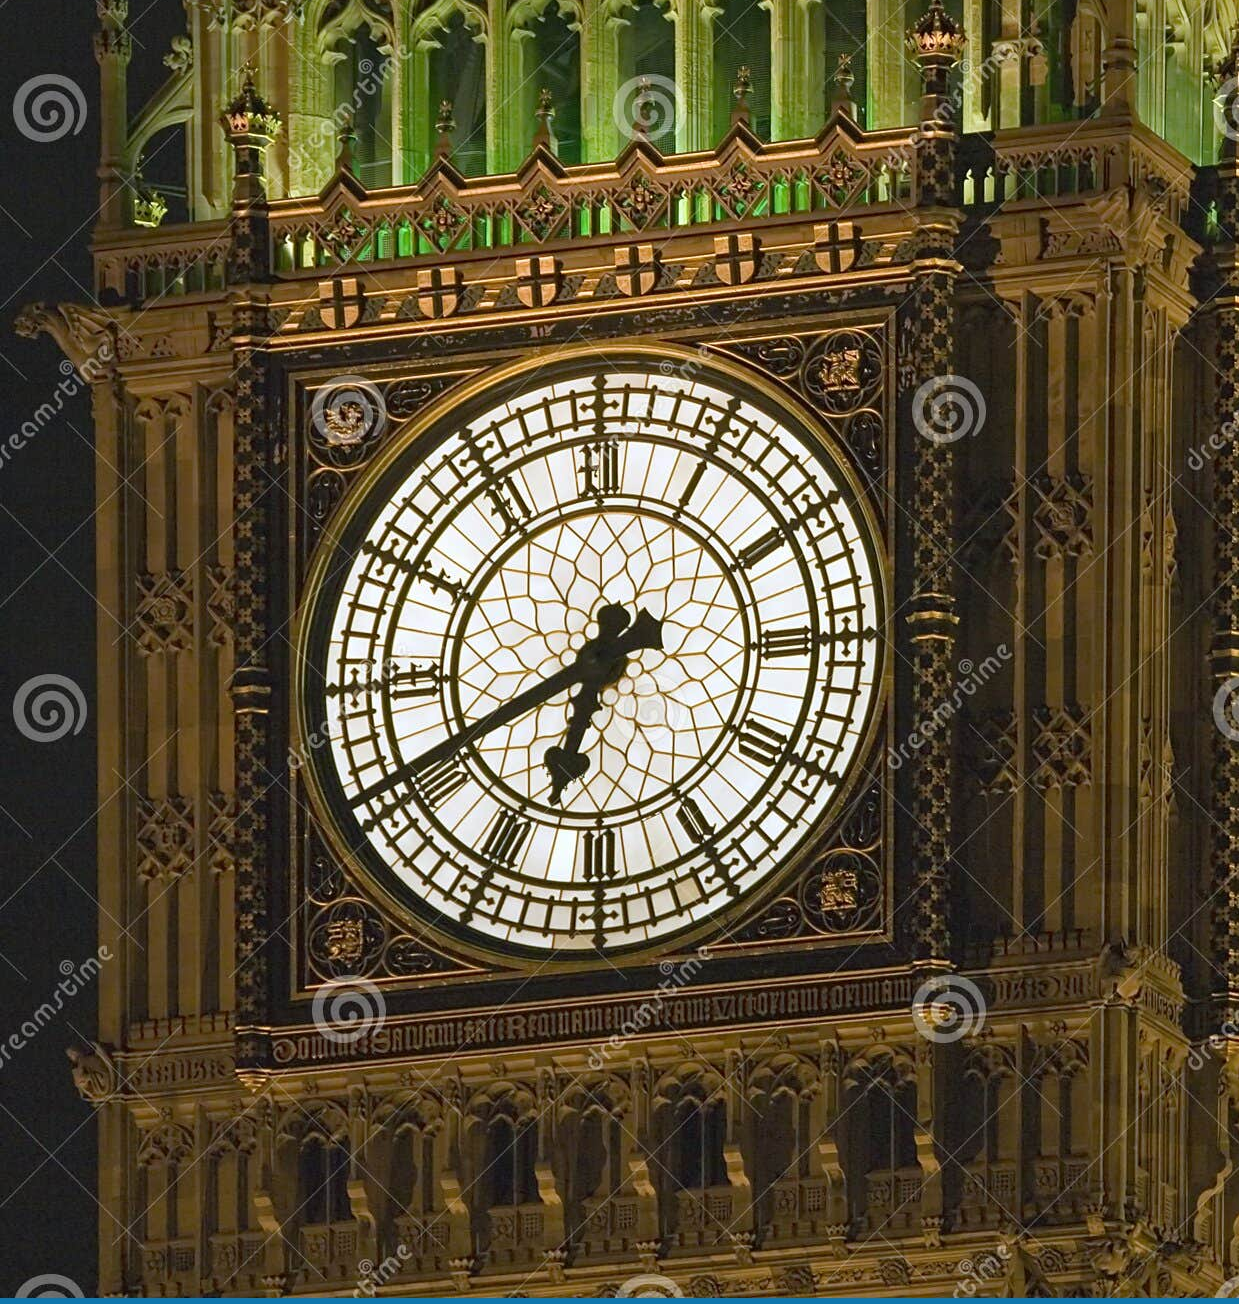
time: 6:40
